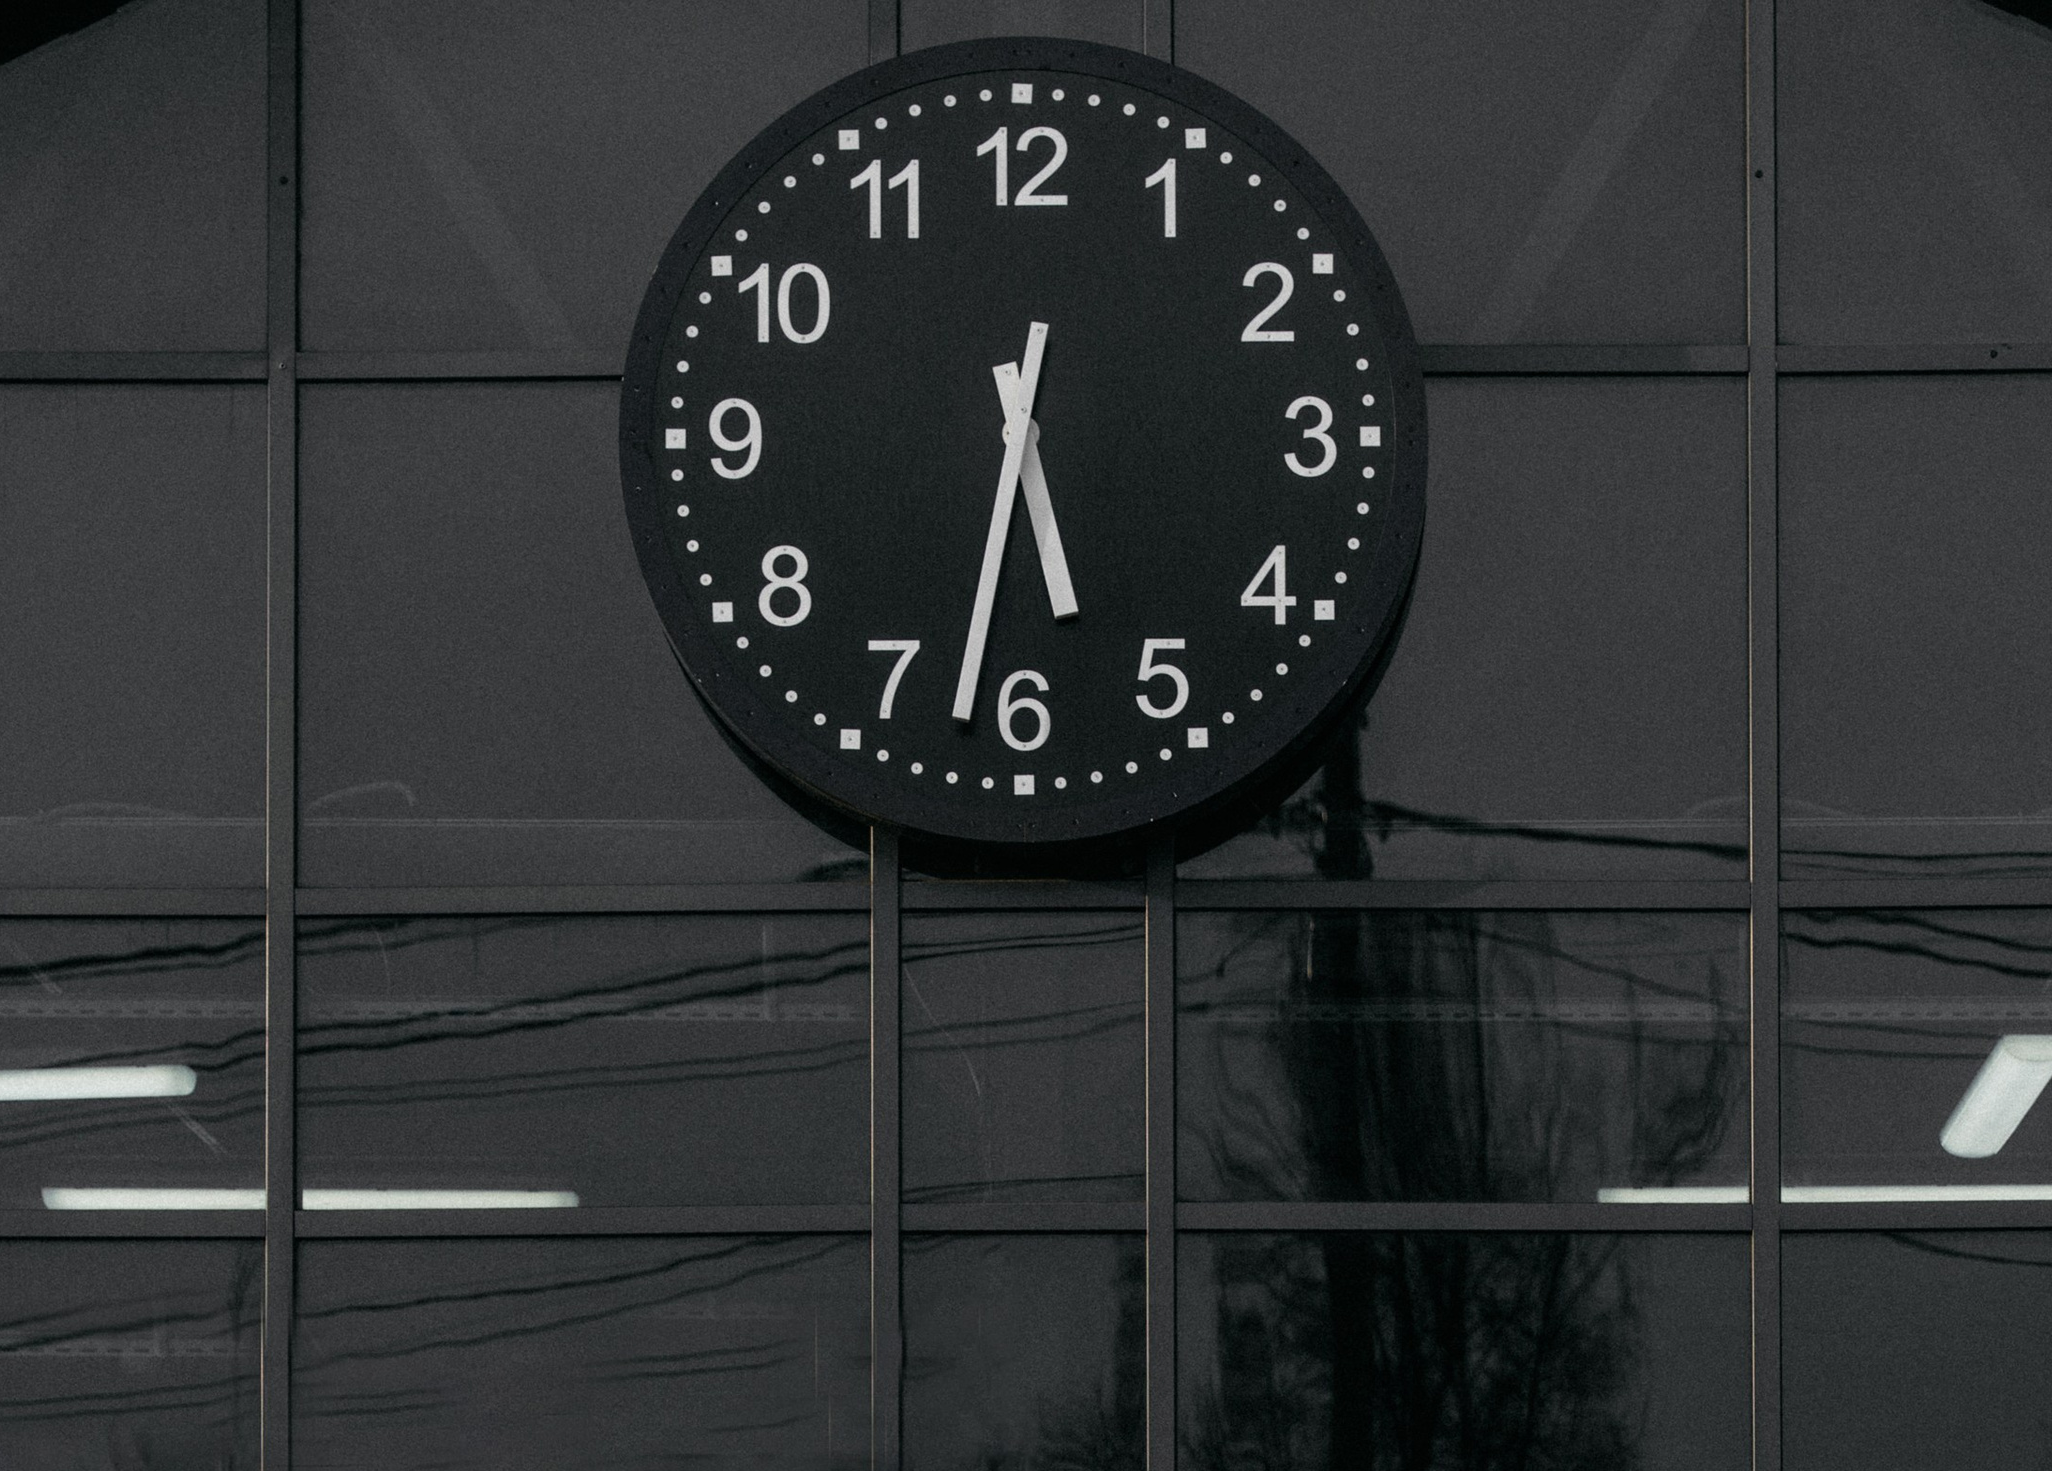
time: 5:32
